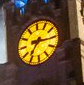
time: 7:15
